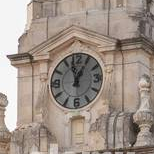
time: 12:57
